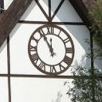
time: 11:55
